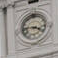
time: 3:44
